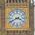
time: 3:40
